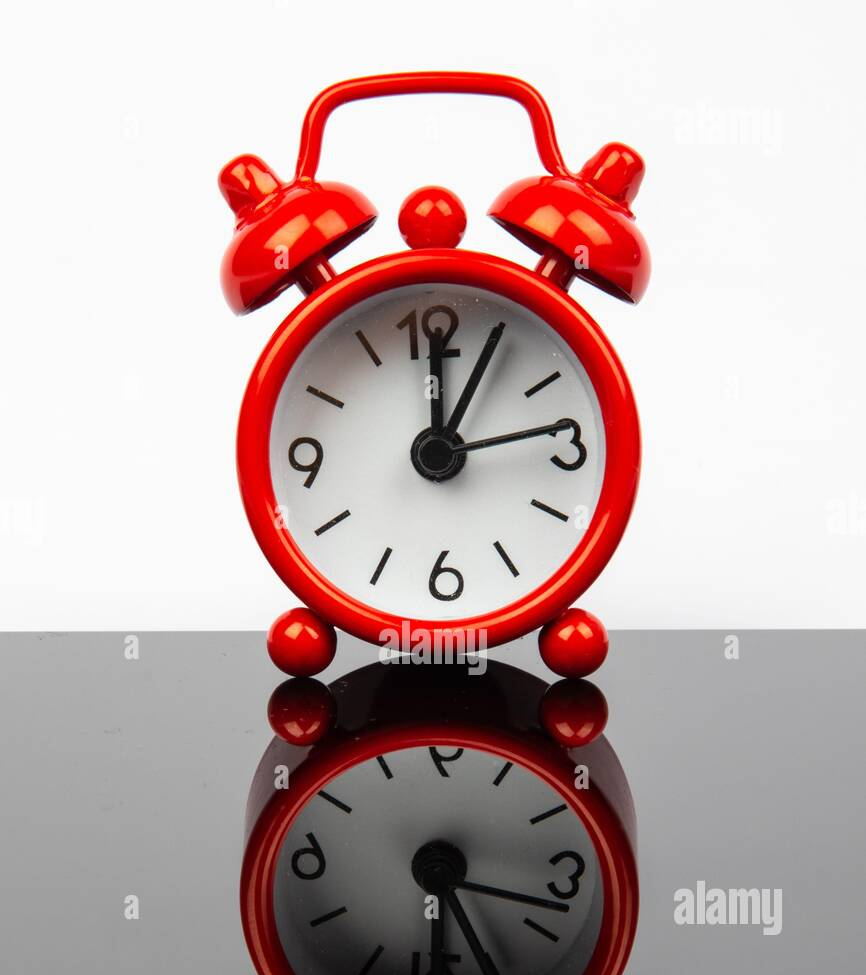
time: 12:05
